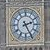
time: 2:25
